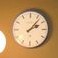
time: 2:07
